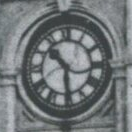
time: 10:29
